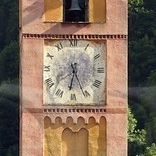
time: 6:26
